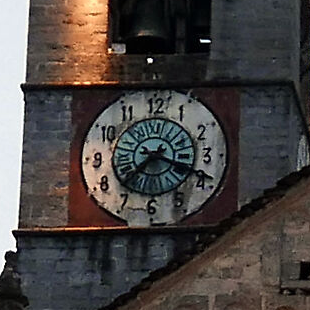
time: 7:18
